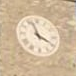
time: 3:57
